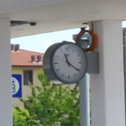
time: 11:20
